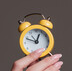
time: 12:48
